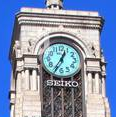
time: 12:35
